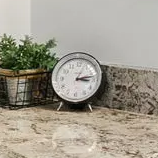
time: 3:13
